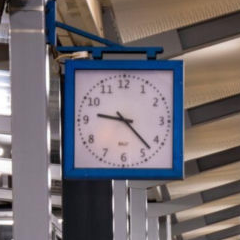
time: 9:22
